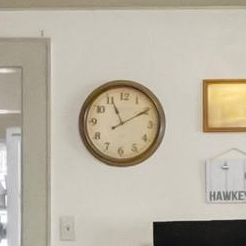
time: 11:09
